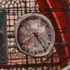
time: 7:24
